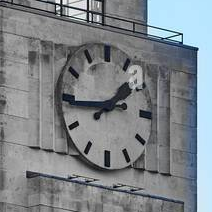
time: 1:44
